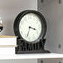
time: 3:33
